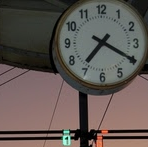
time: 7:19
